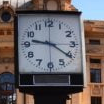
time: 9:20
